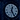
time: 12:24
